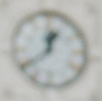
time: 12:38
